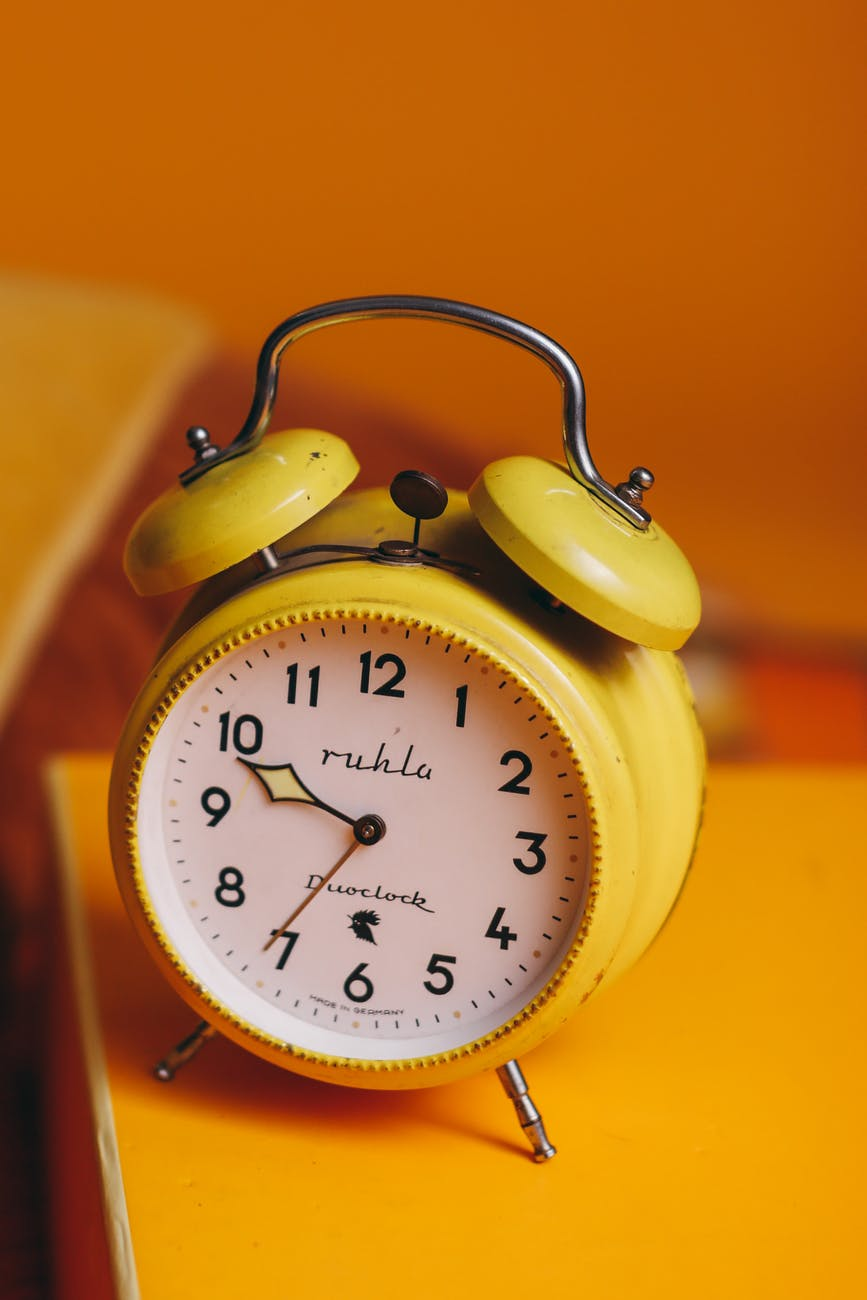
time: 9:35
